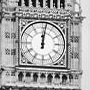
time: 12:01
